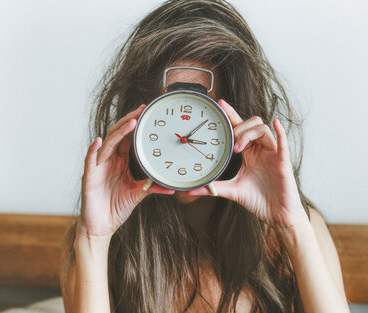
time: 3:07
